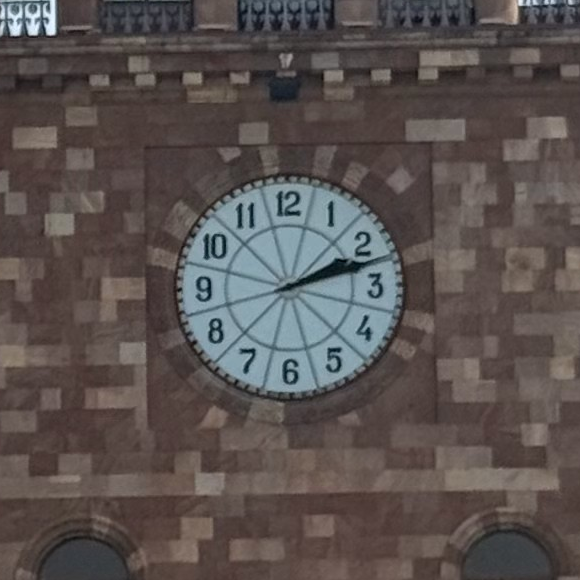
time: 2:12
